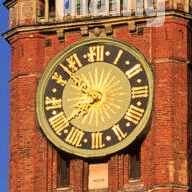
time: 12:36
